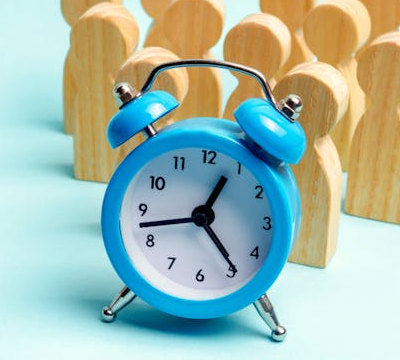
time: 12:42
